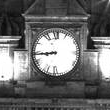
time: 8:44
